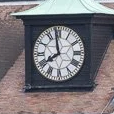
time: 7:58
